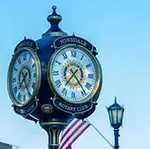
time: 7:23
